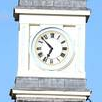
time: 6:52
